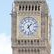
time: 1:26
